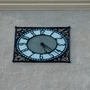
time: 5:21
